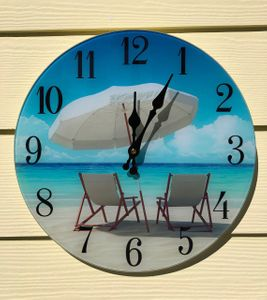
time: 12:04
